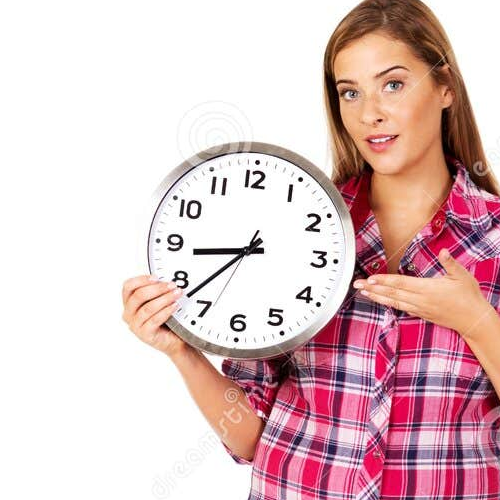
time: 8:37
